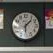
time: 1:30
